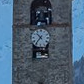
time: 10:36
